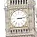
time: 3:13
